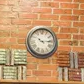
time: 10:14
